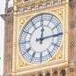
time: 12:14
